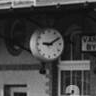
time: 9:10
